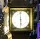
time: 5:59
